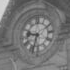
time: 9:33
